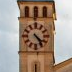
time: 4:23
